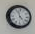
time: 4:57
